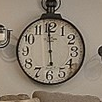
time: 5:59
